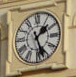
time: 1:26
